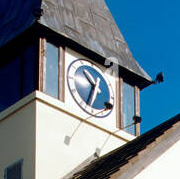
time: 10:34
